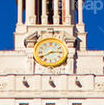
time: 2:40
